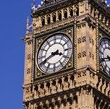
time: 3:40
